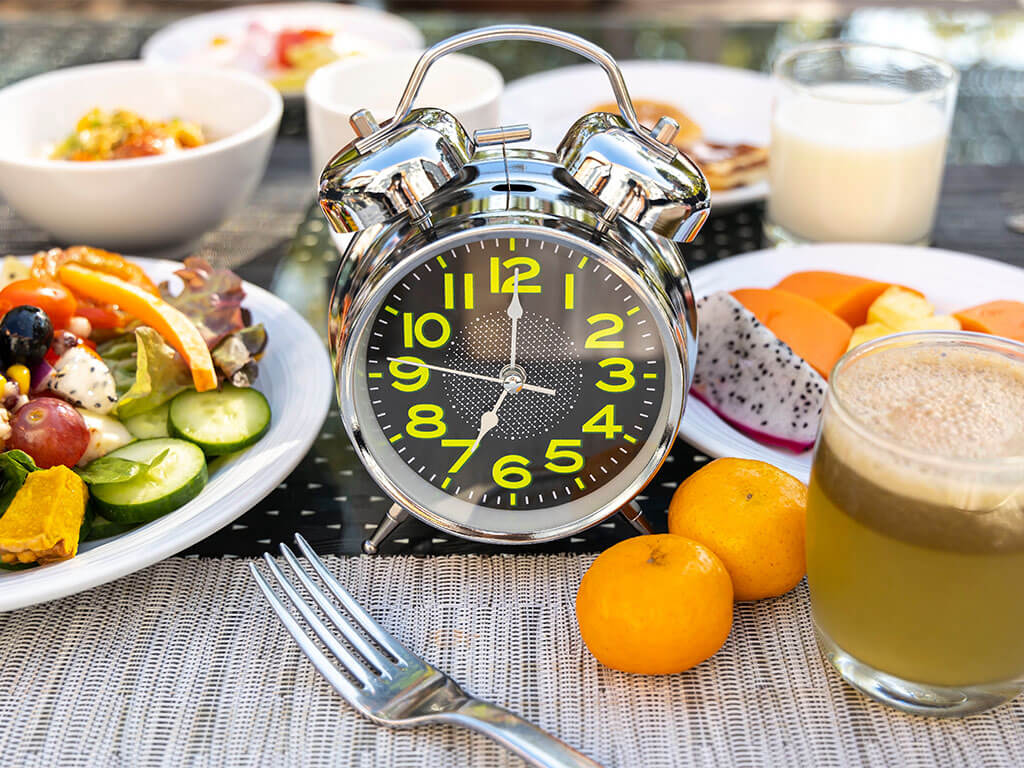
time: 6:46
